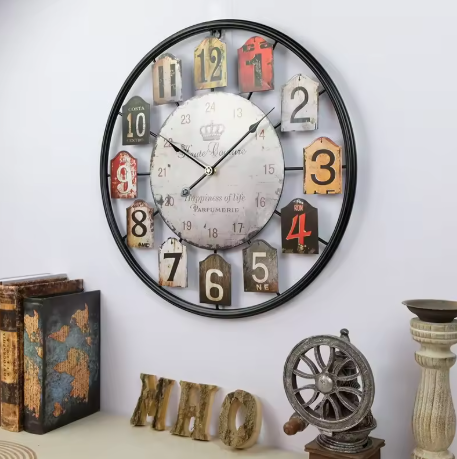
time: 10:08
